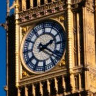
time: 2:21
